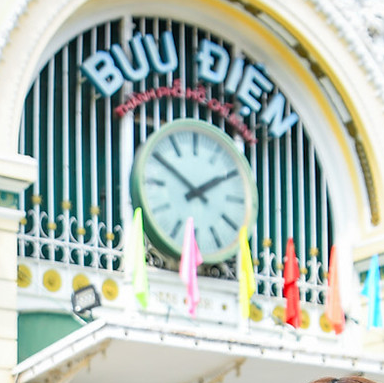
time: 1:50
